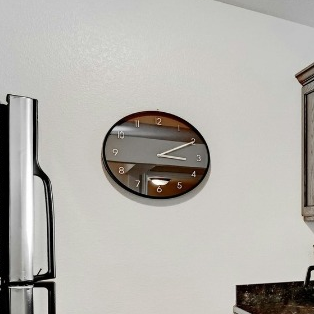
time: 3:10
